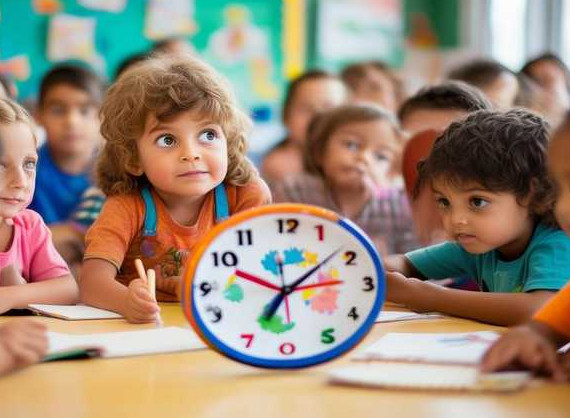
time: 1:34
